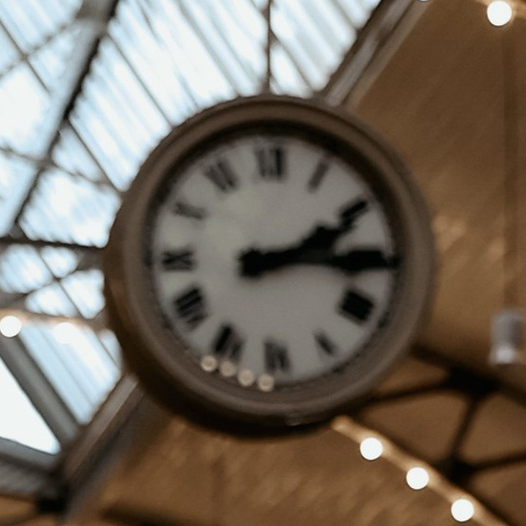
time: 2:15
